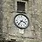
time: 3:36
